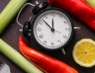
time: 11:52
